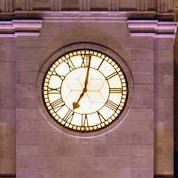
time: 7:01
